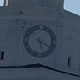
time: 5:19
